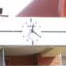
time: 12:21
